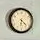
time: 6:22
